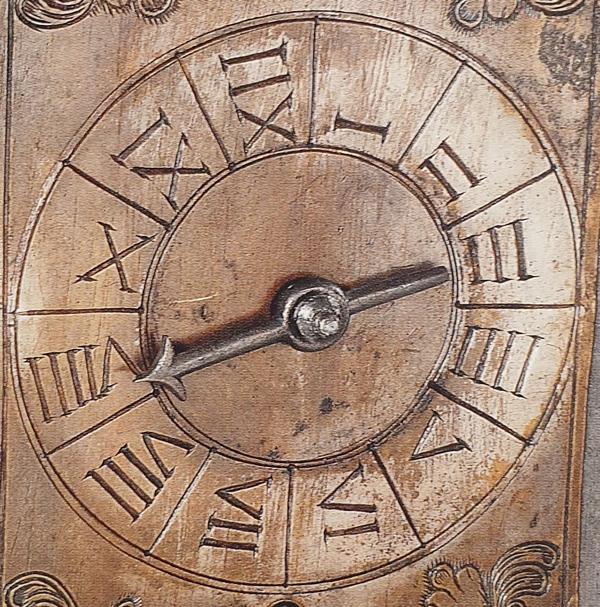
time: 2:40
